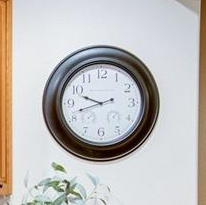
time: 9:42
